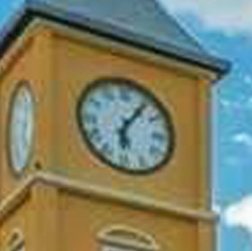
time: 6:06
